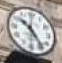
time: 10:24
